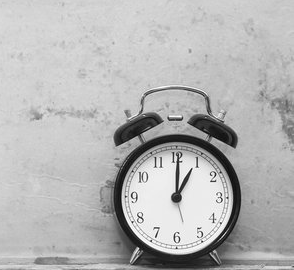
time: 1:00
